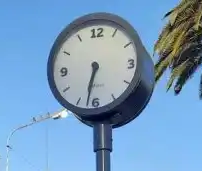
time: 6:32
